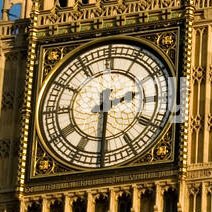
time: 2:30
